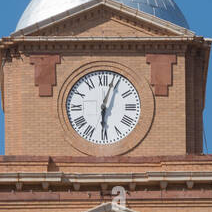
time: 6:03
